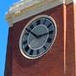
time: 2:52
